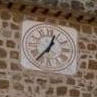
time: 12:36
